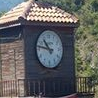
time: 10:47
